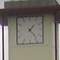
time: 1:23
